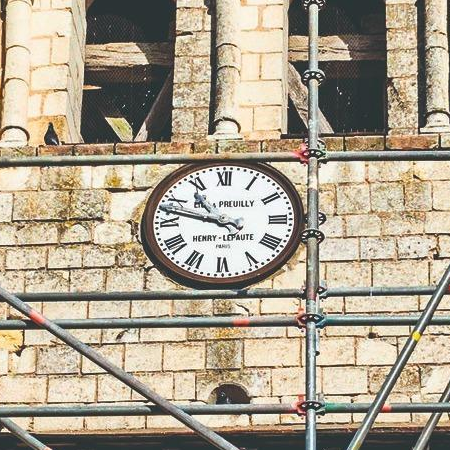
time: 10:47
